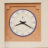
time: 8:20
